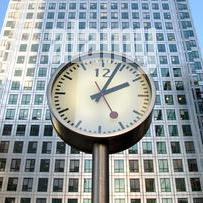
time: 2:04
